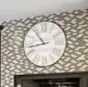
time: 10:43
